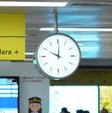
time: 10:00
